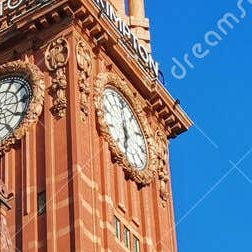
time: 12:32
